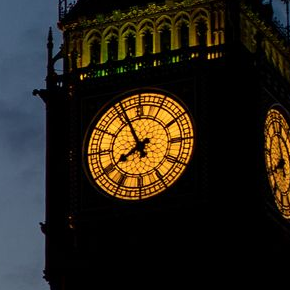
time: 7:55
